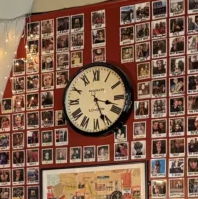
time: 3:26
